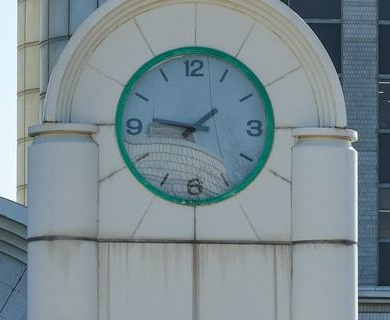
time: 1:46
